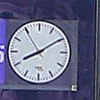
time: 8:09
